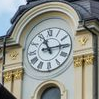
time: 11:14
